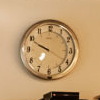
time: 6:49
